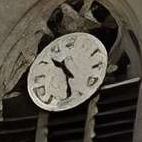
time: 10:28
